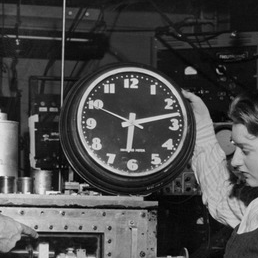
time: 6:13
